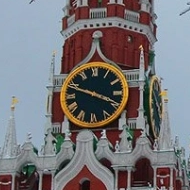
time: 3:48
